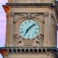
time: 7:08
